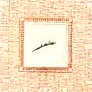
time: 2:40
